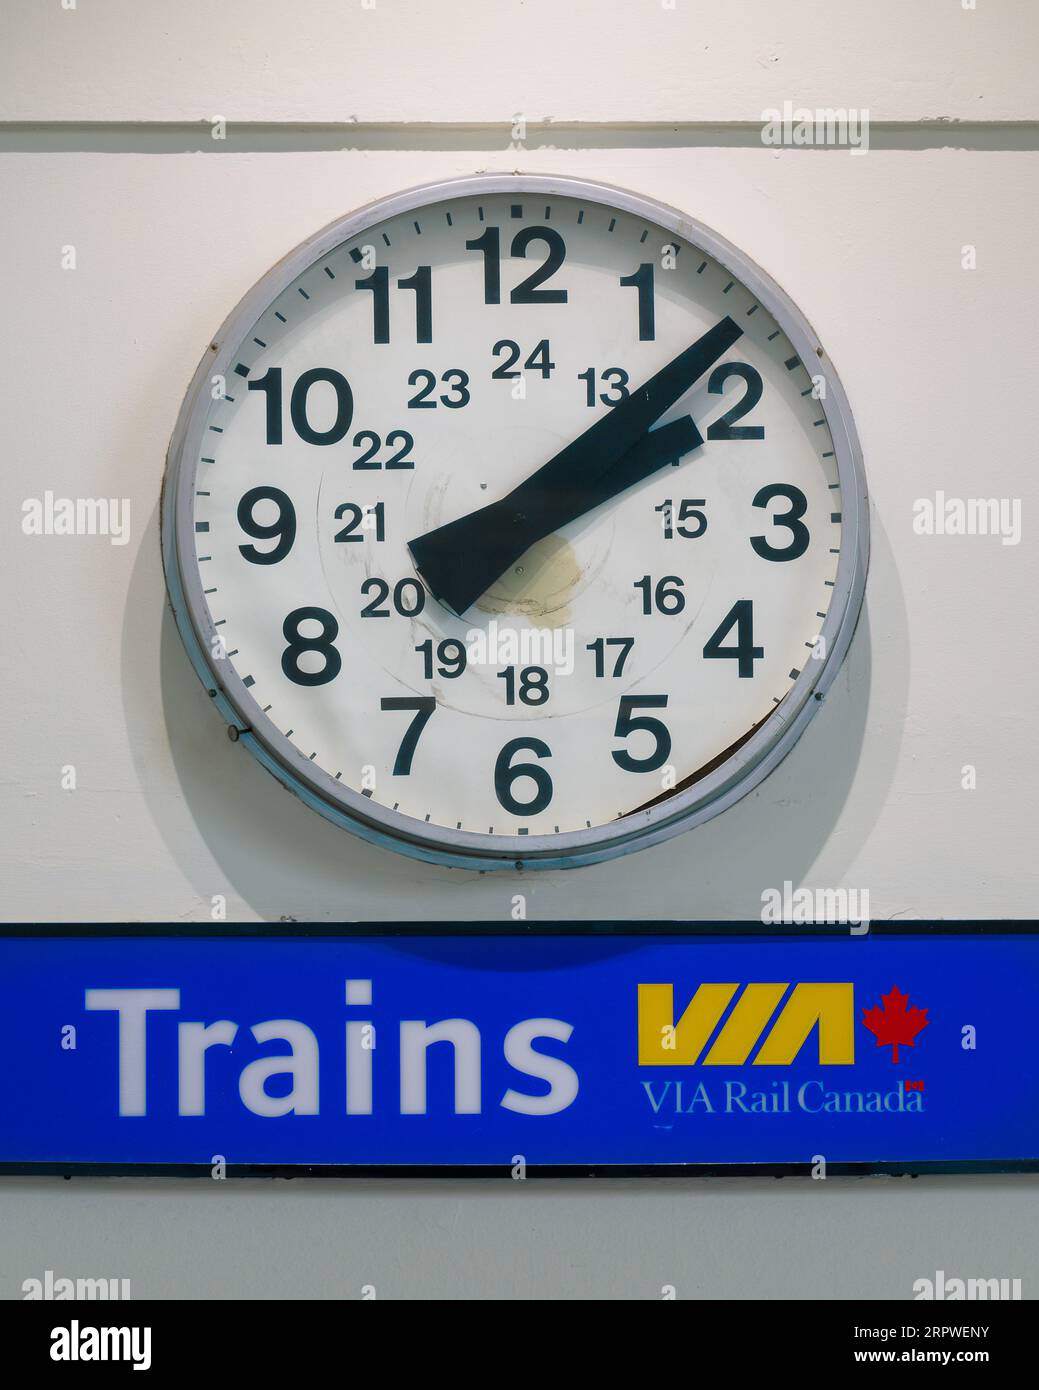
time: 2:08
